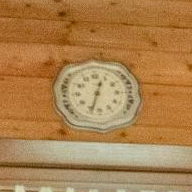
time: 12:32
